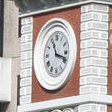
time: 11:18
